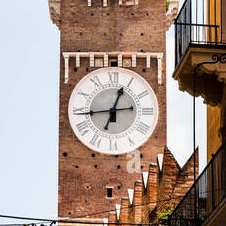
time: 12:44
